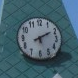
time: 5:09
